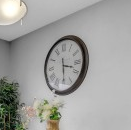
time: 3:29
